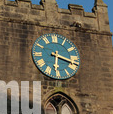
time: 6:18
